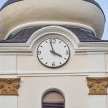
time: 3:57
